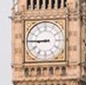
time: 8:45
